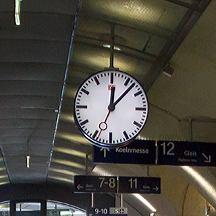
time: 12:07
